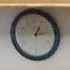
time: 1:13
